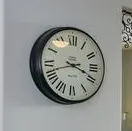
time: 3:41
